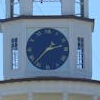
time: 2:37
